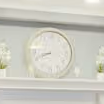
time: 8:41
